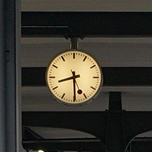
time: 8:29
